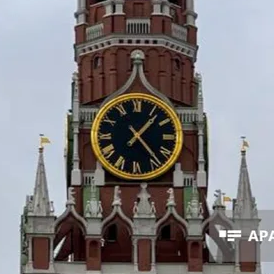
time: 1:23
